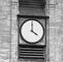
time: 4:00
